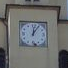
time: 12:05
